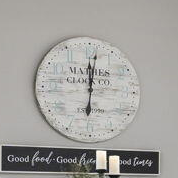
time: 6:01
